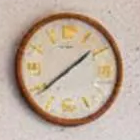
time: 1:38
